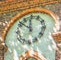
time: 11:51
